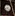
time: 4:42
